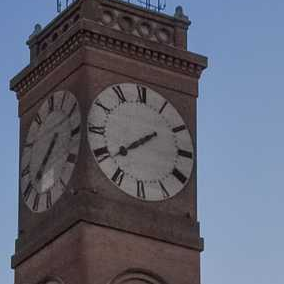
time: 7:38
